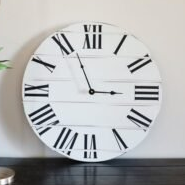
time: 2:56
